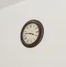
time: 3:46
